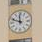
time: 11:48
